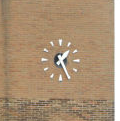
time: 1:25
